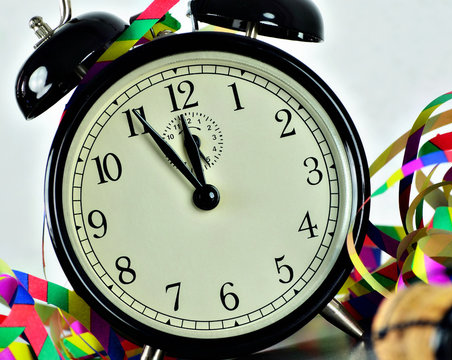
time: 11:55
